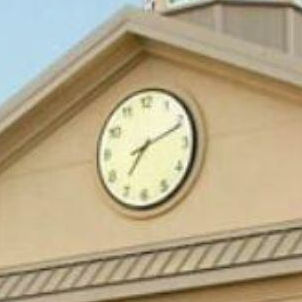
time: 7:11
